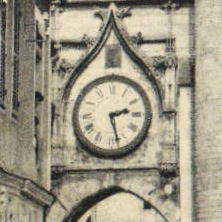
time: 2:27
